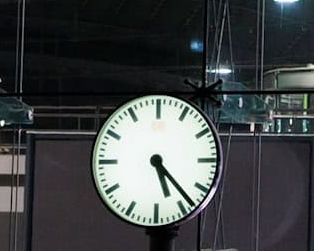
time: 5:23
